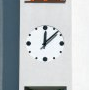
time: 12:07
